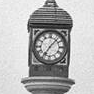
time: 7:07
